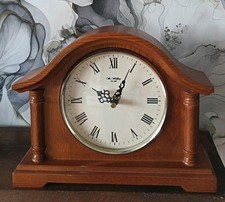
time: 10:04
